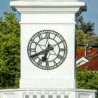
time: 6:40
